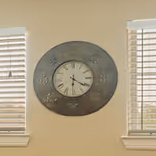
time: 6:20
